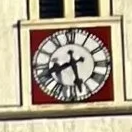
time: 8:27
